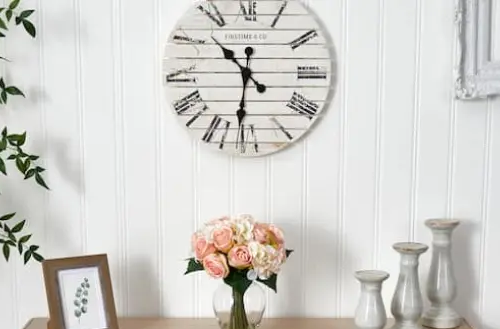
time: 10:31
